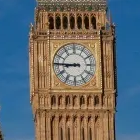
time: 8:45
